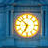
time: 6:52
